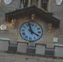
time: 3:57
